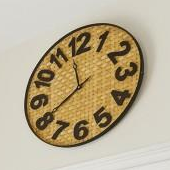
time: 11:39
